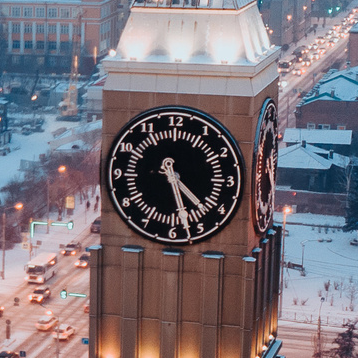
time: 4:27
